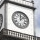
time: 12:07
